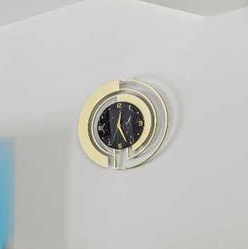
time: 12:26
